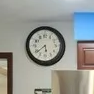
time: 5:38
